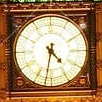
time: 4:31
